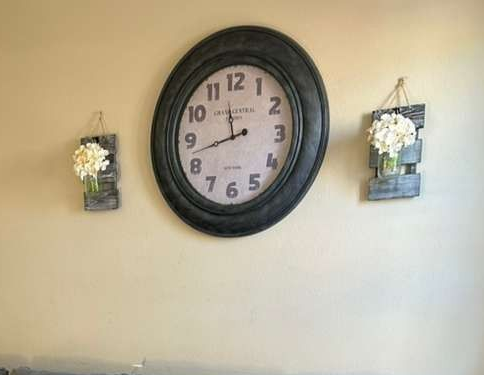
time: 11:42
